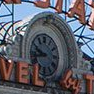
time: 9:42
